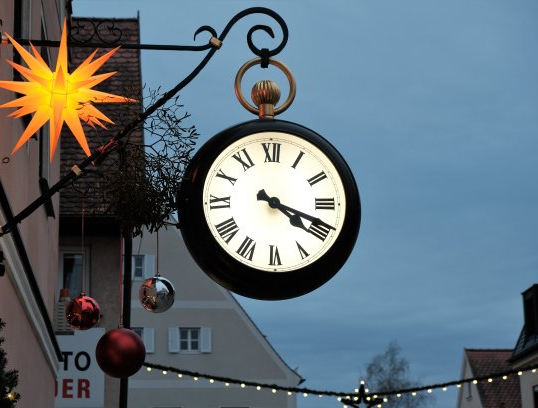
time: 4:19
